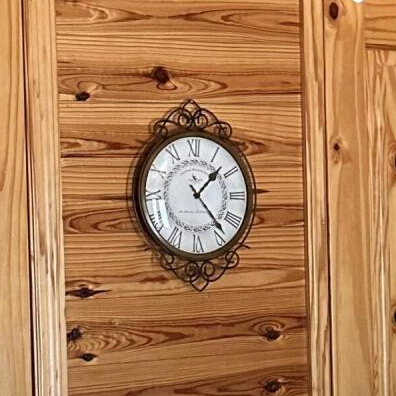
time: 1:23
